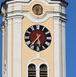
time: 5:36
